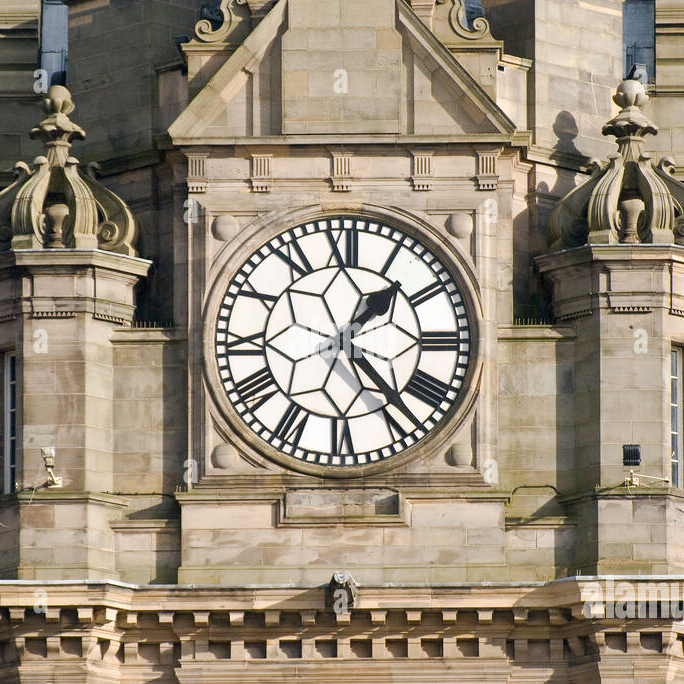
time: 1:22
